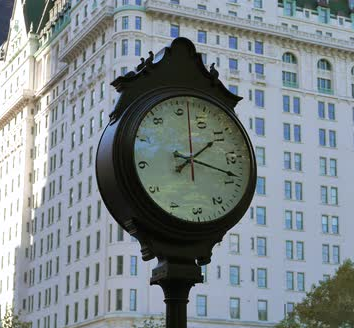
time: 2:18
